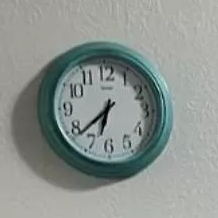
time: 6:38
